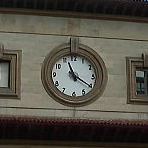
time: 11:20
